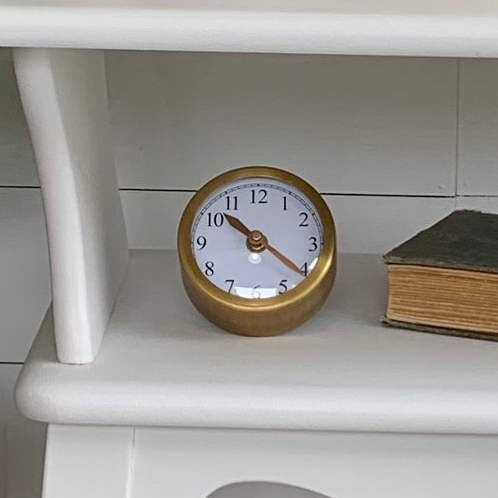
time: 10:21
